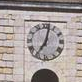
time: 7:02
